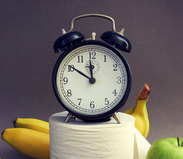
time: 11:50
